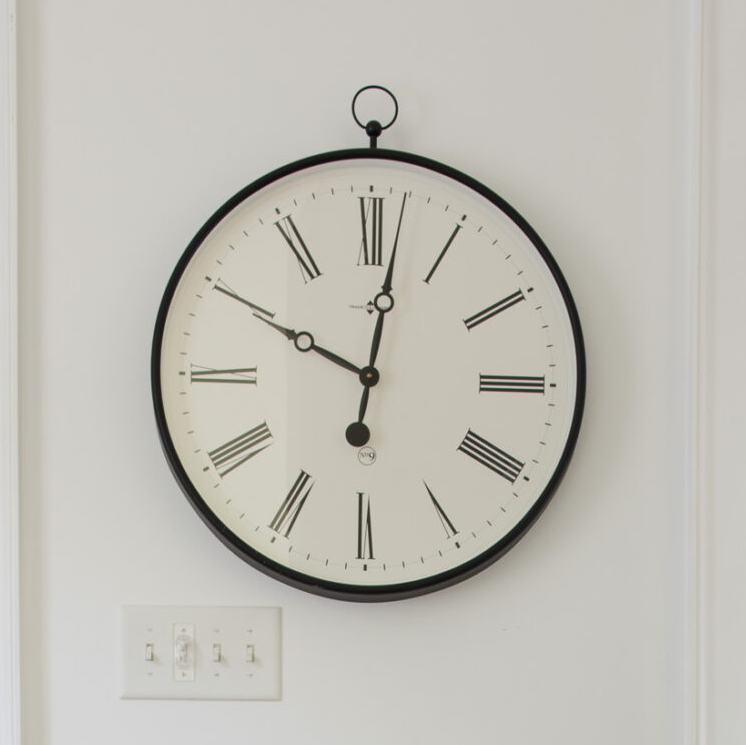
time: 10:01
